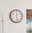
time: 12:26
